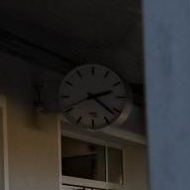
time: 2:21
